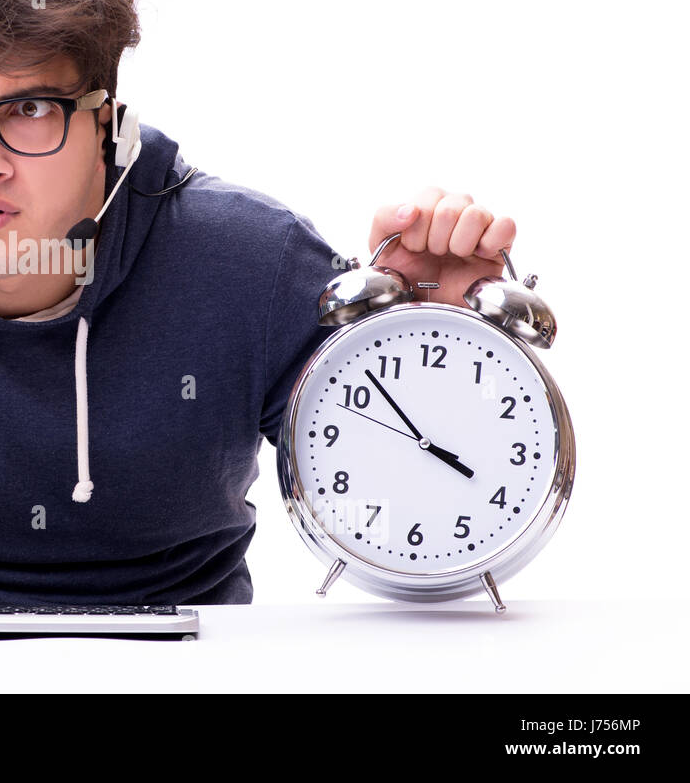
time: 3:52
